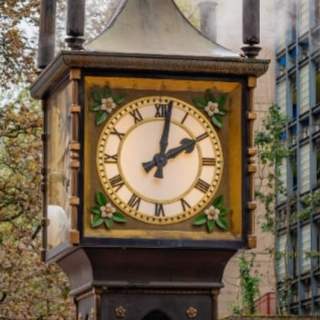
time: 2:01
